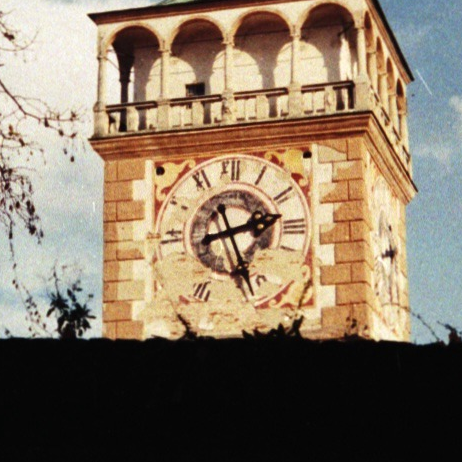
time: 2:26
